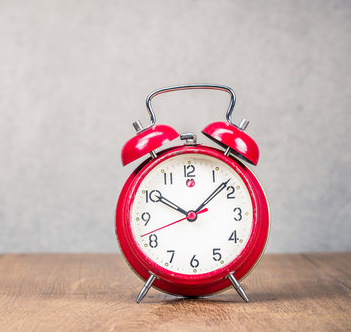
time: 10:07
